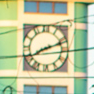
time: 8:11
